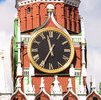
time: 11:34
